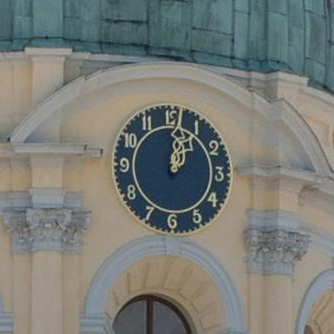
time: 1:01
